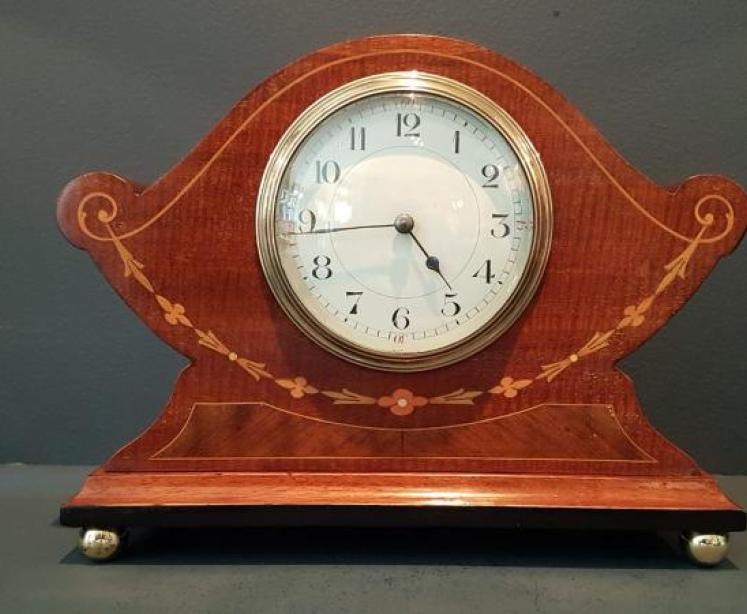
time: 4:44
